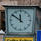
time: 11:51
